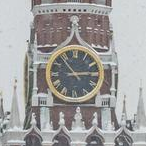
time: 2:53
